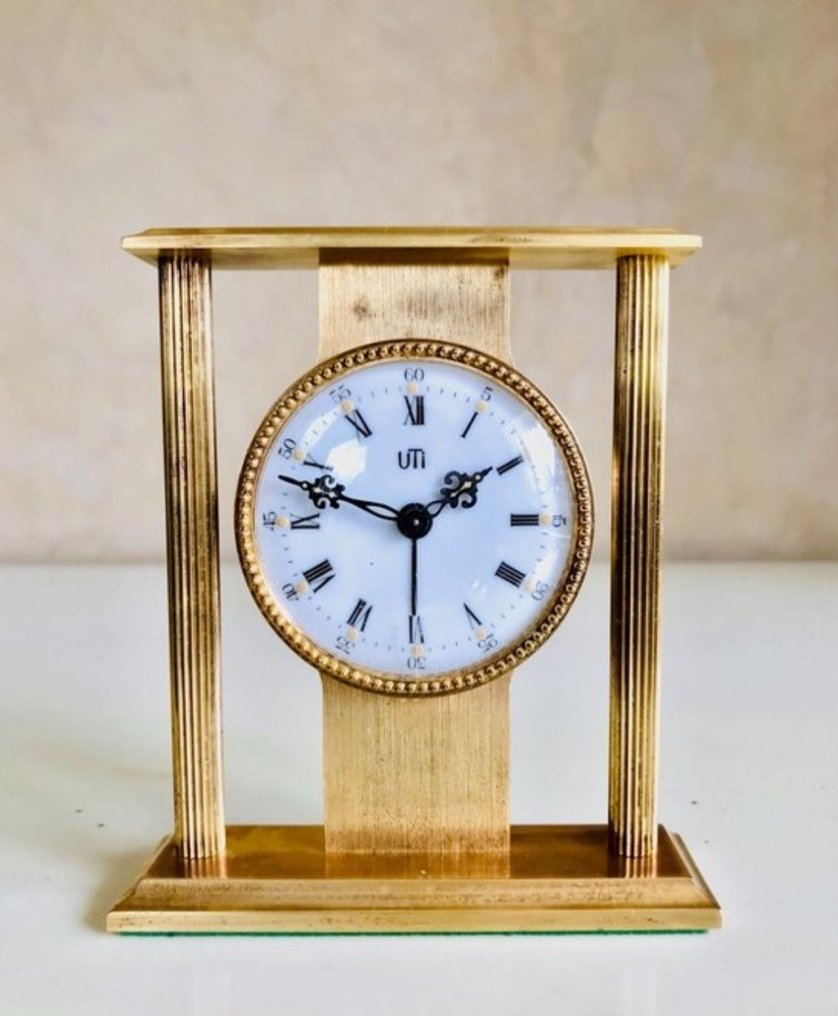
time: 1:47
